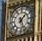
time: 1:26
